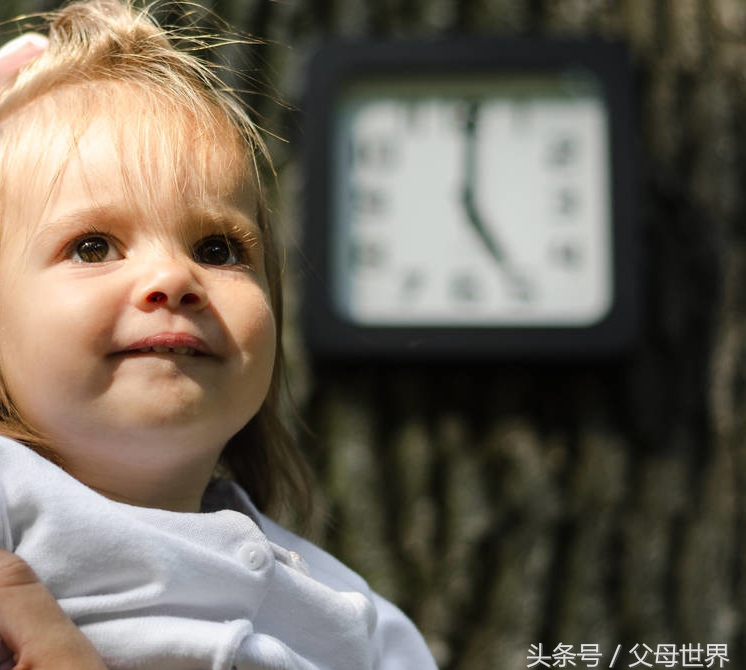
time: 5:00
